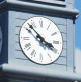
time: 3:52
